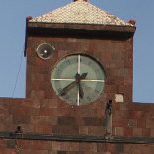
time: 5:38
